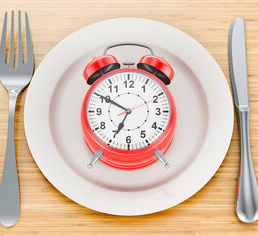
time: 6:49
